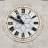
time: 10:48
